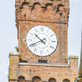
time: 10:40
